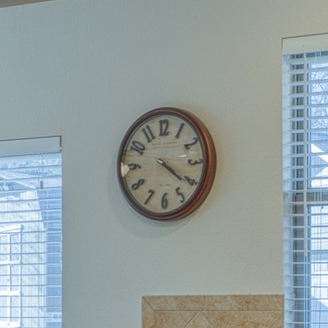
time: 4:20
